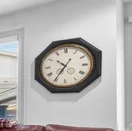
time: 10:35
